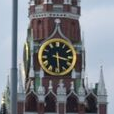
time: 3:29
